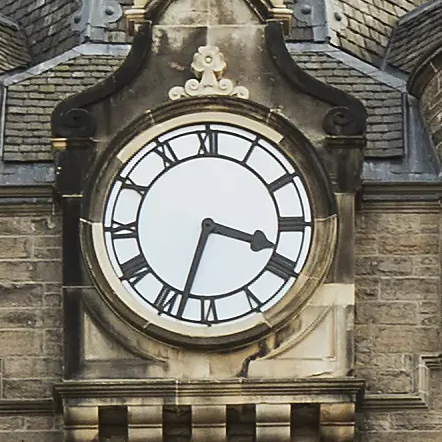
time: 3:33
